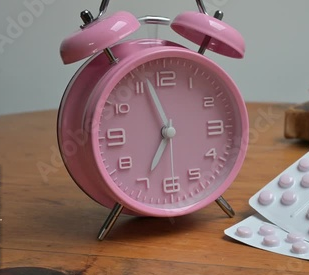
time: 6:57
